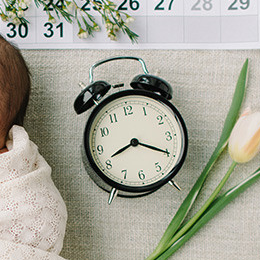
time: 8:19
